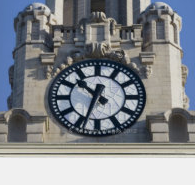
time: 10:34
